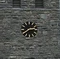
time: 2:38
